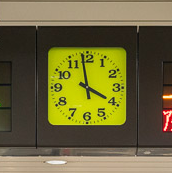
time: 3:58
